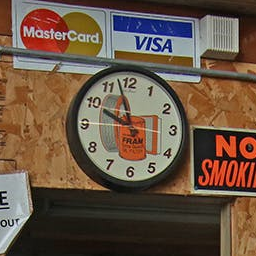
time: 9:57
